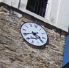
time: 3:40
